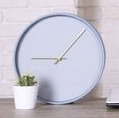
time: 9:07
